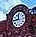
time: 11:44
